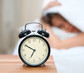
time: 6:50
